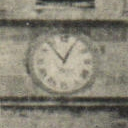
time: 12:53
